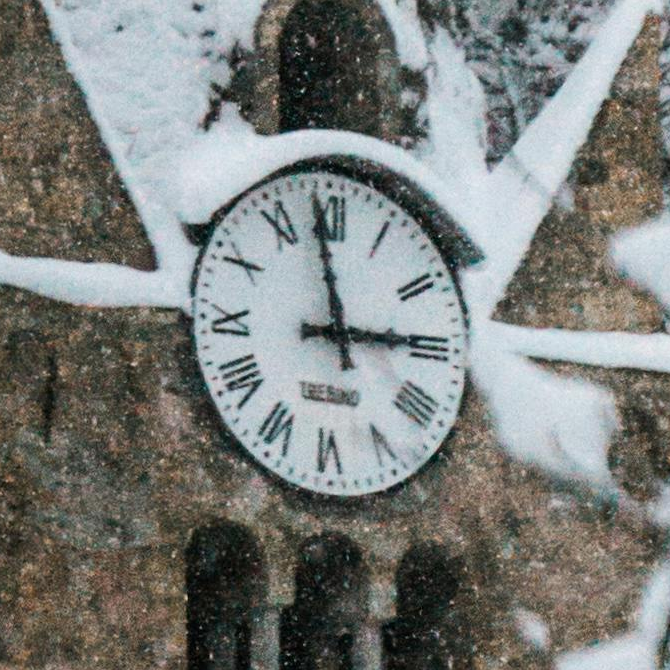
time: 2:58
